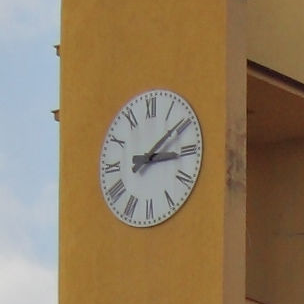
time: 3:09
